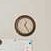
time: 12:24
